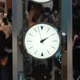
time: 2:09
